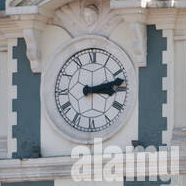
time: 3:12
